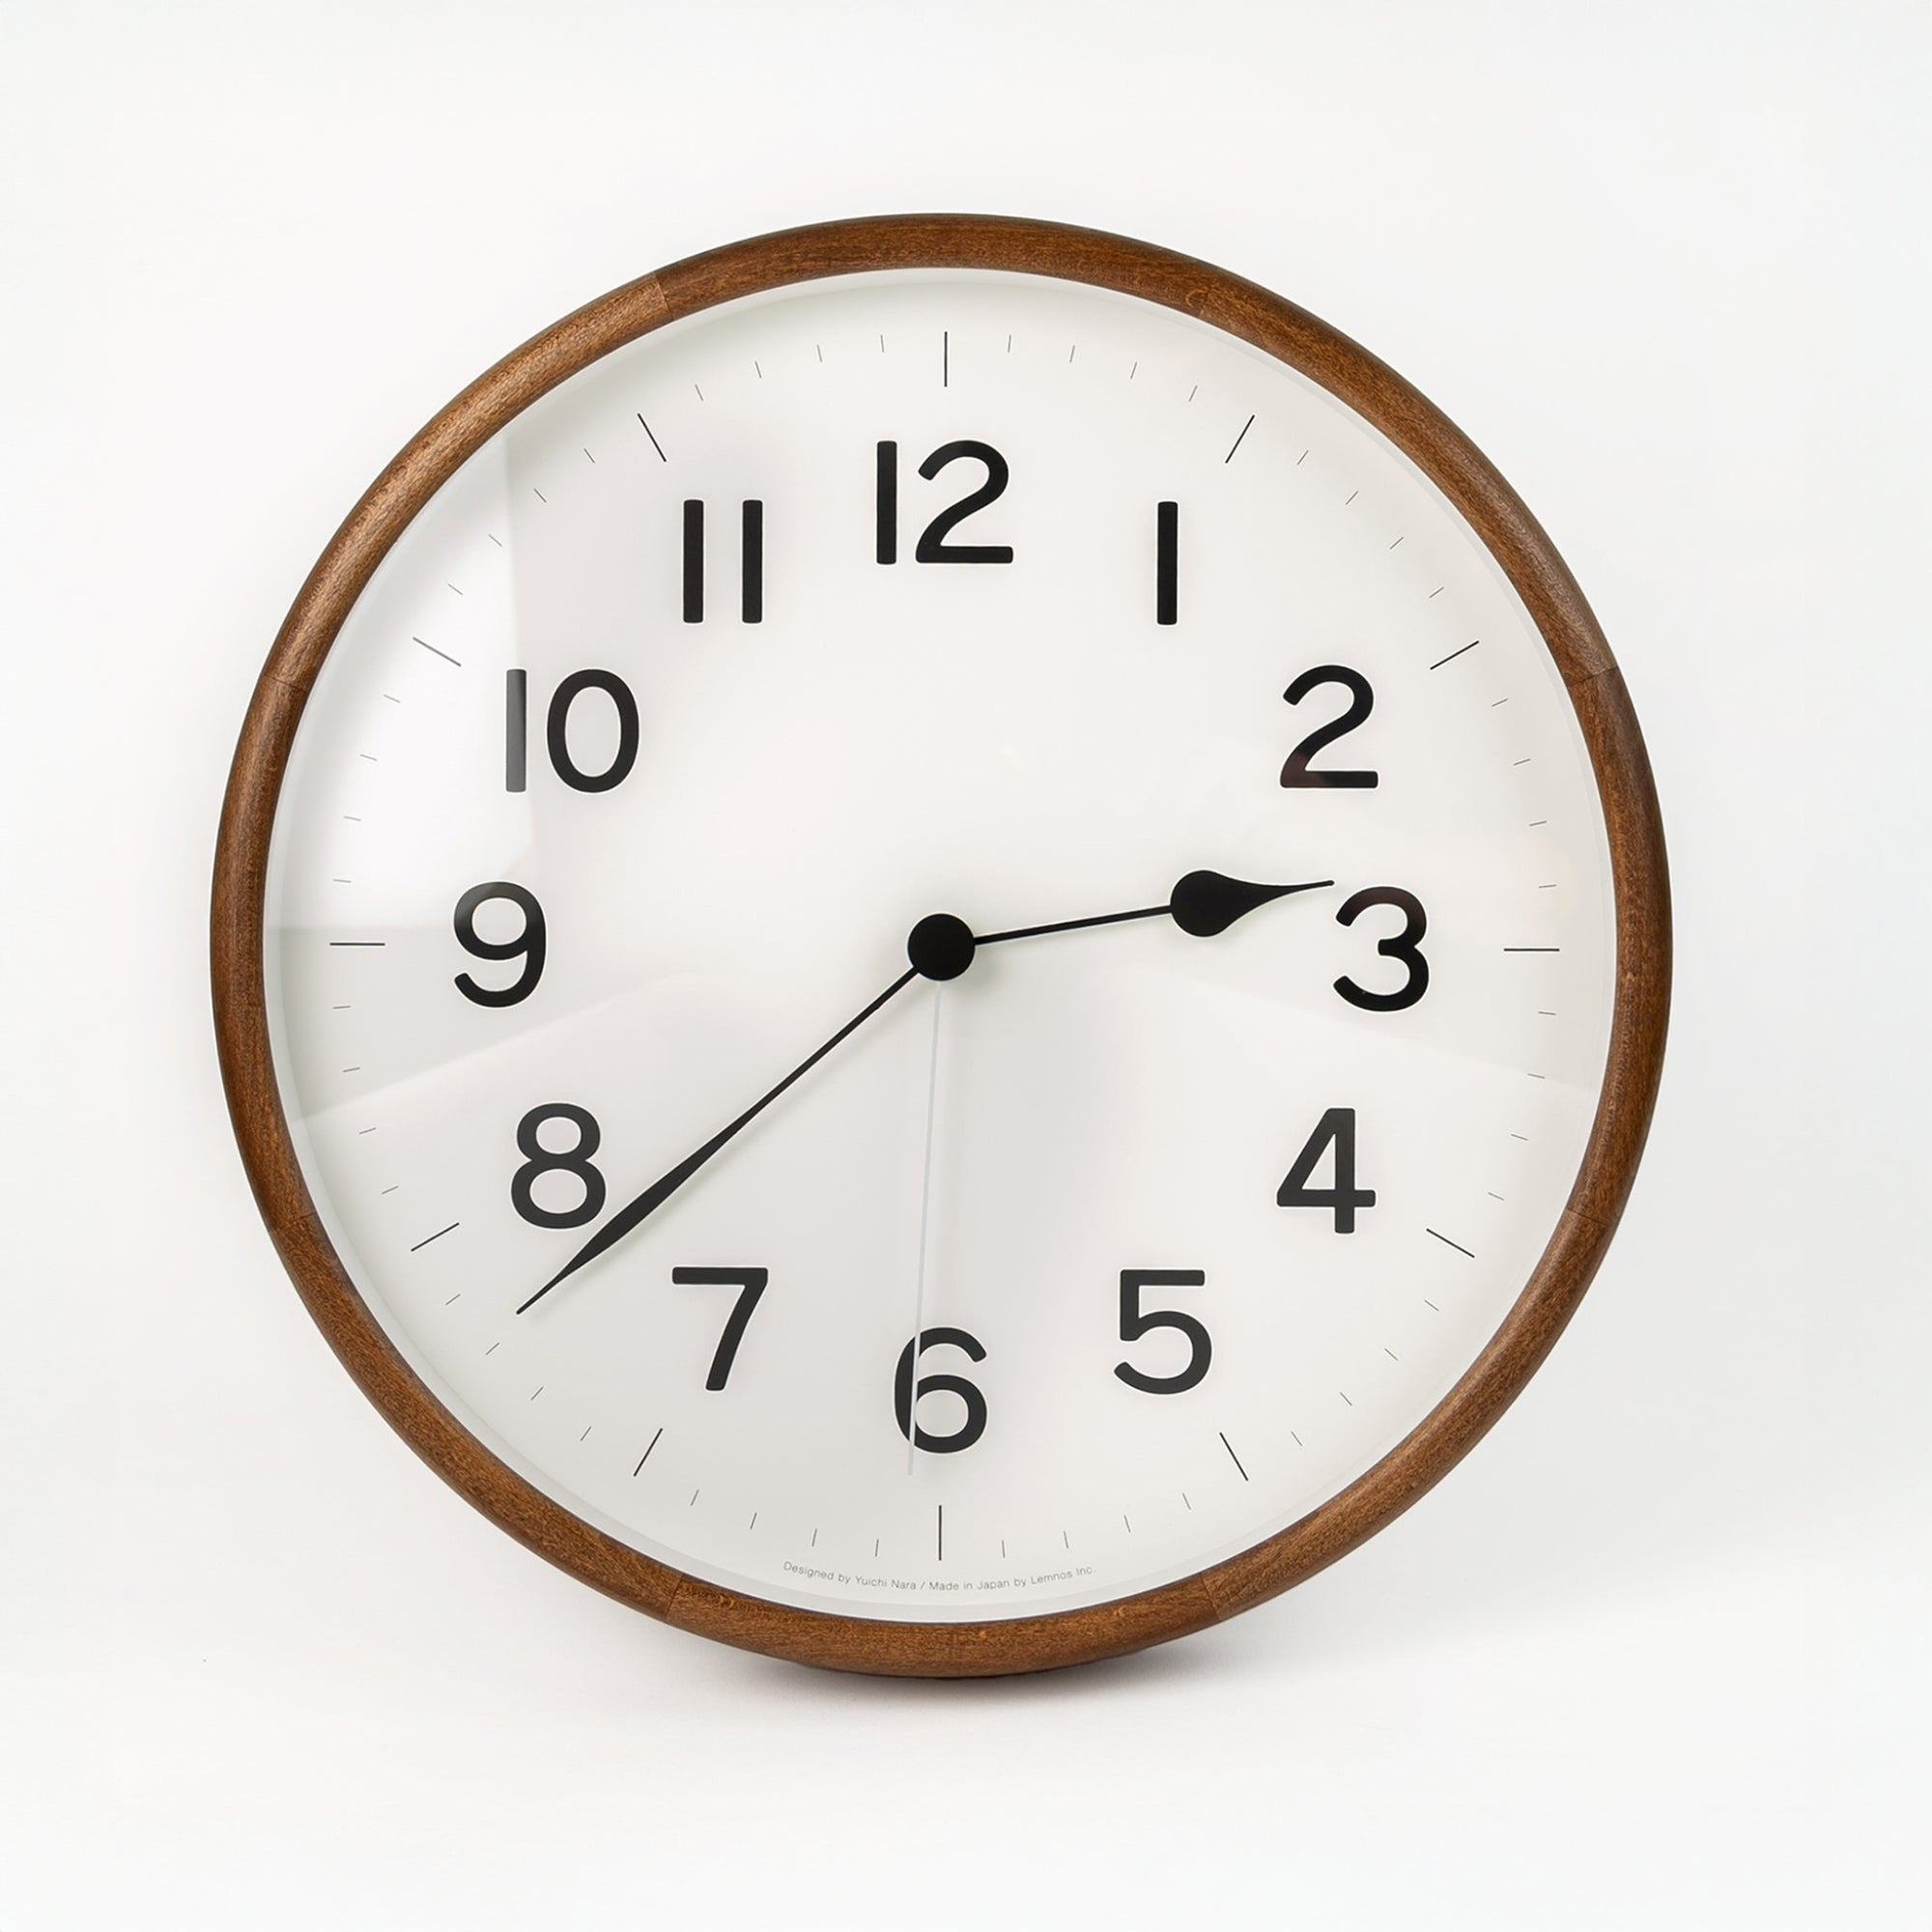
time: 2:38
